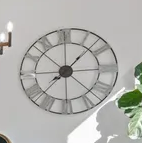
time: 8:07
